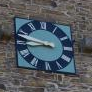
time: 8:47
